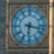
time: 6:17
